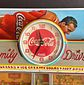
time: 11:34
